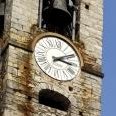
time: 3:09
